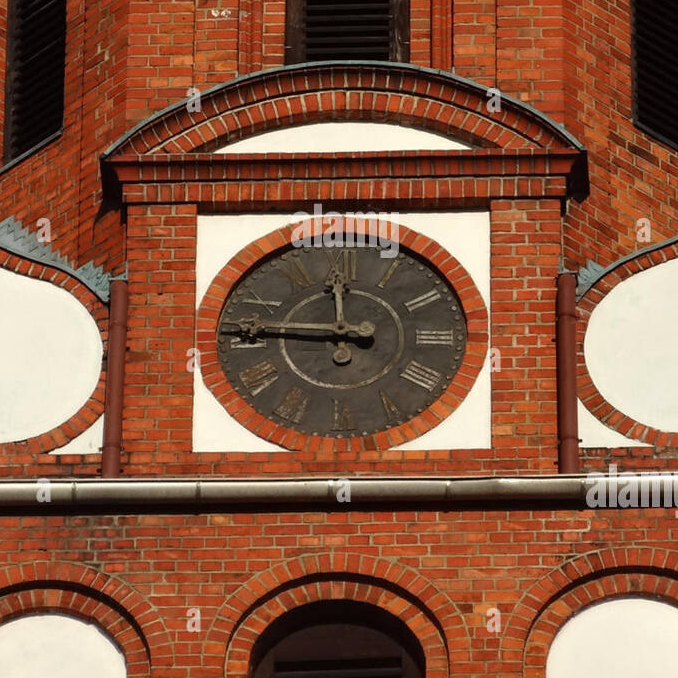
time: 11:45
